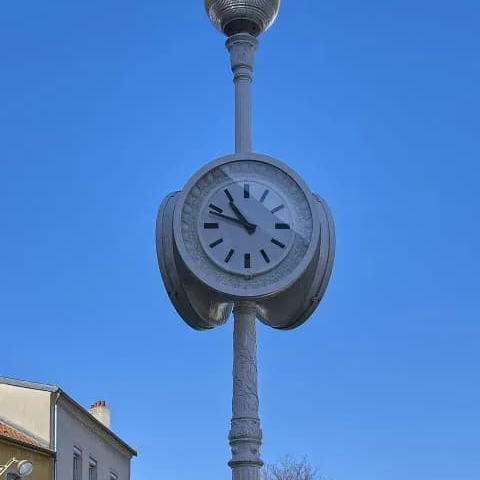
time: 10:48
